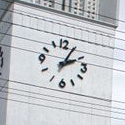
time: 2:04
